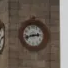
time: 2:42
